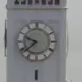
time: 9:38
